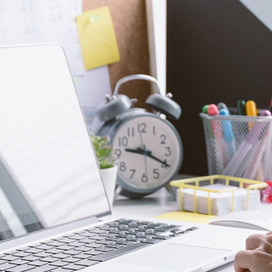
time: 9:20
